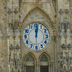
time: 12:01
